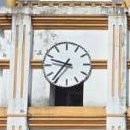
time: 9:36
